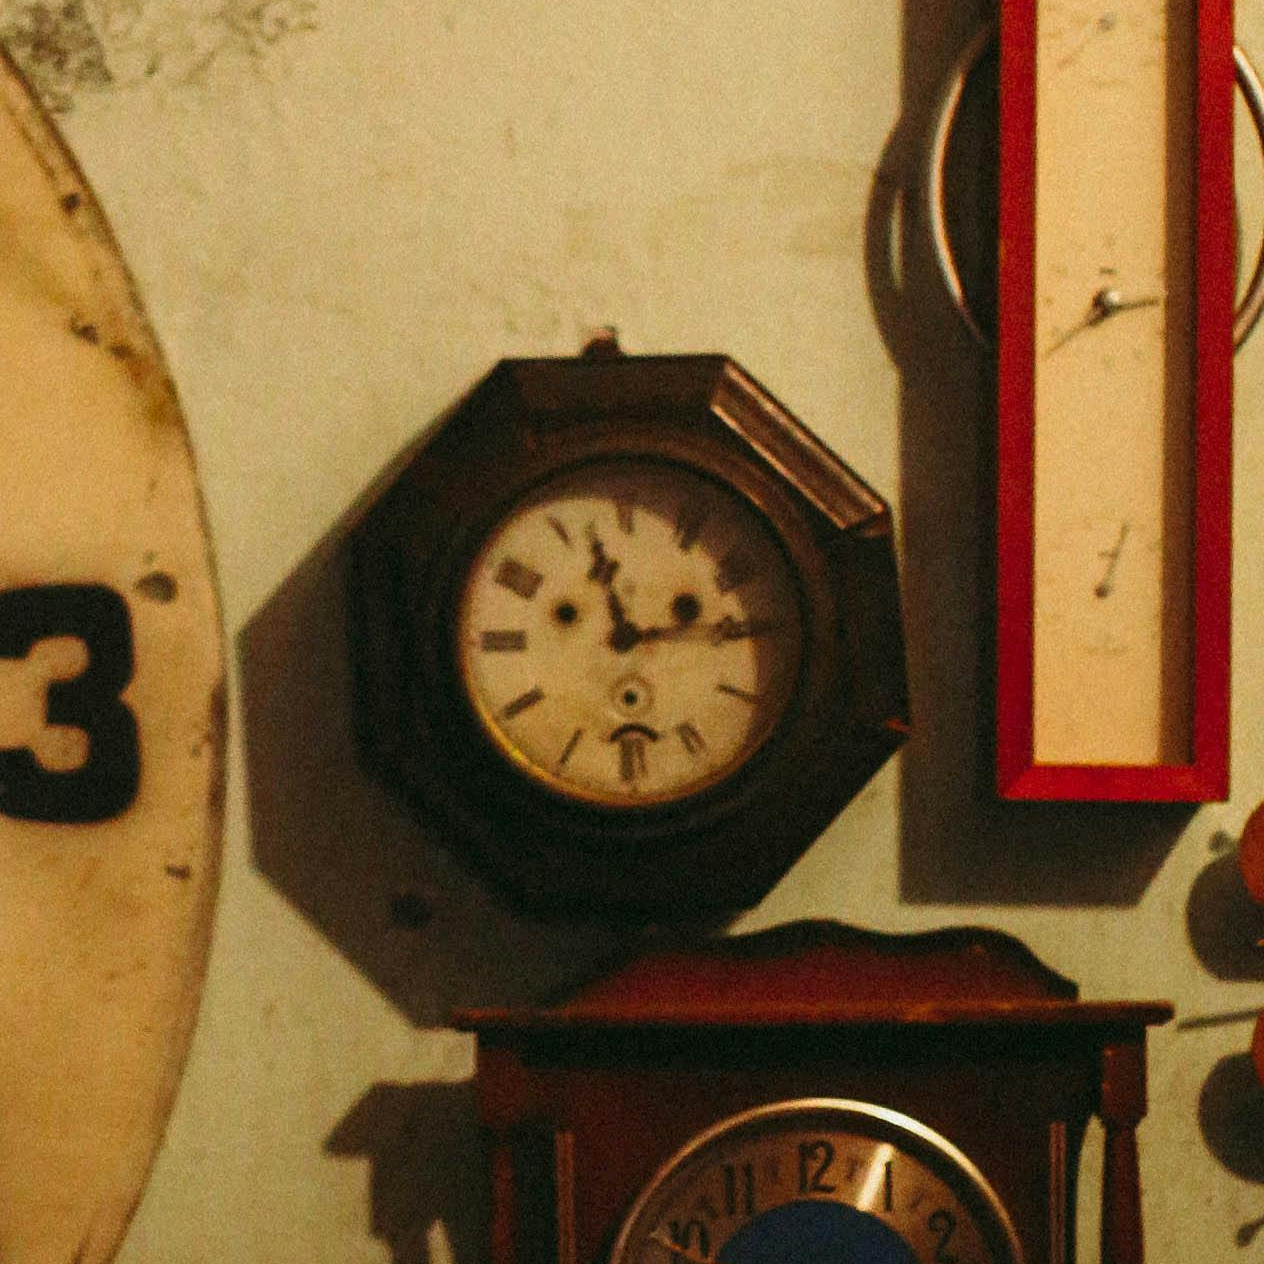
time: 11:13
